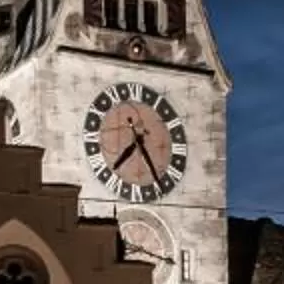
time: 7:25
